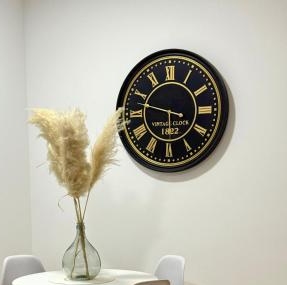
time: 5:47
